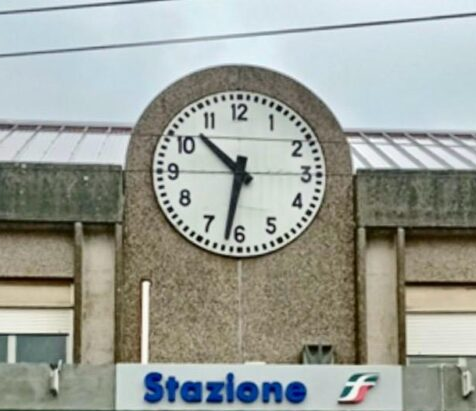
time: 10:31
